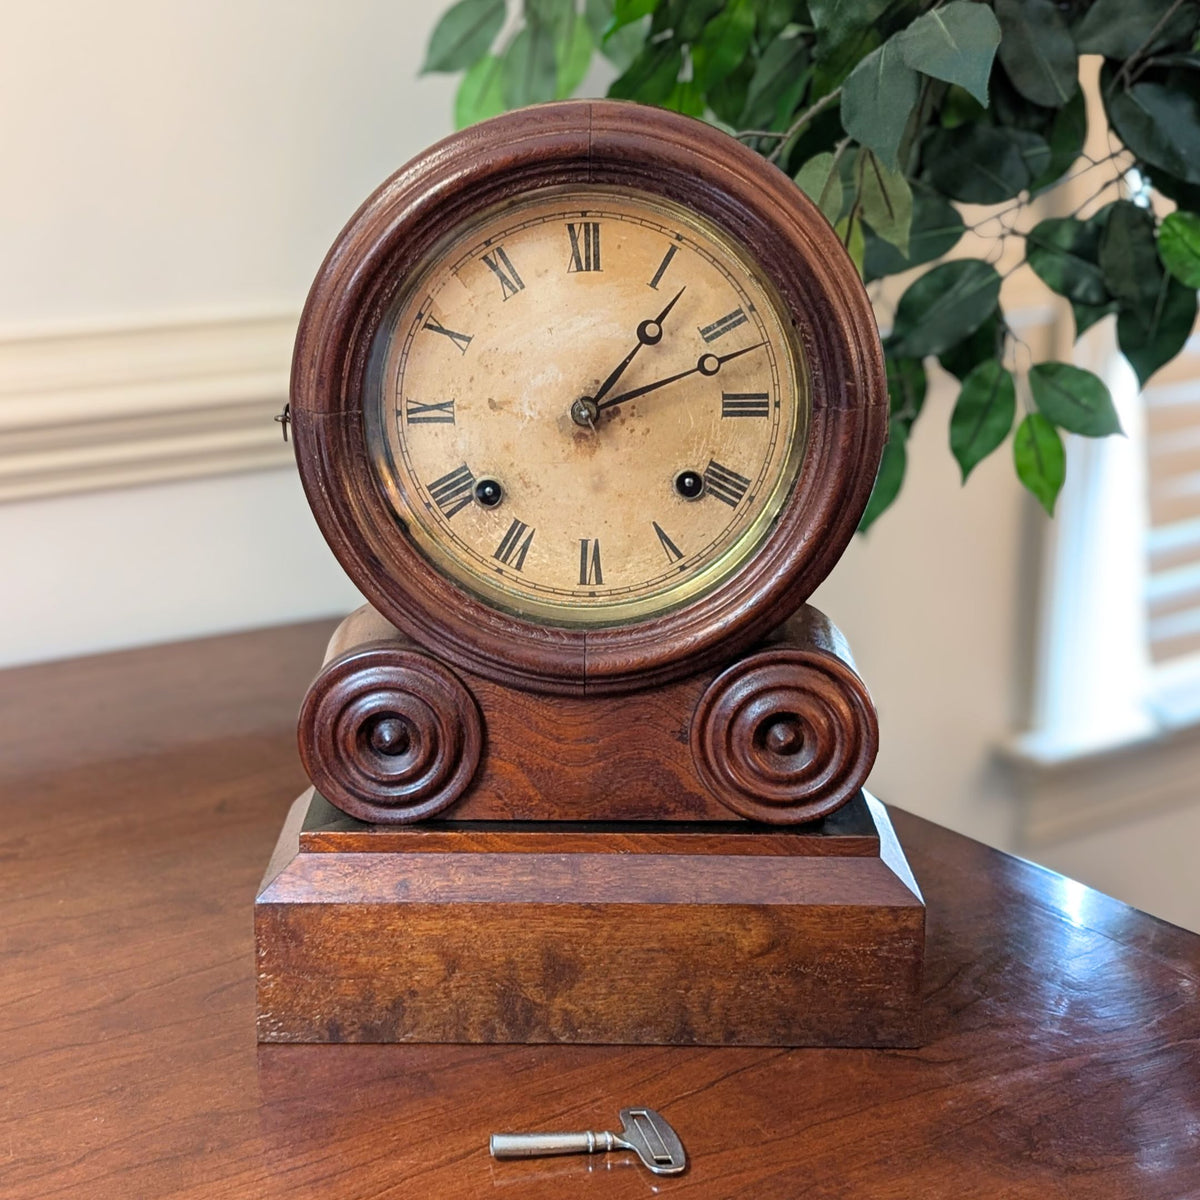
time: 1:11
